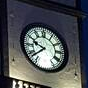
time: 9:38
